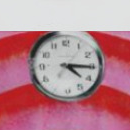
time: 4:15
